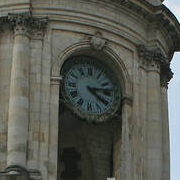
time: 4:12
